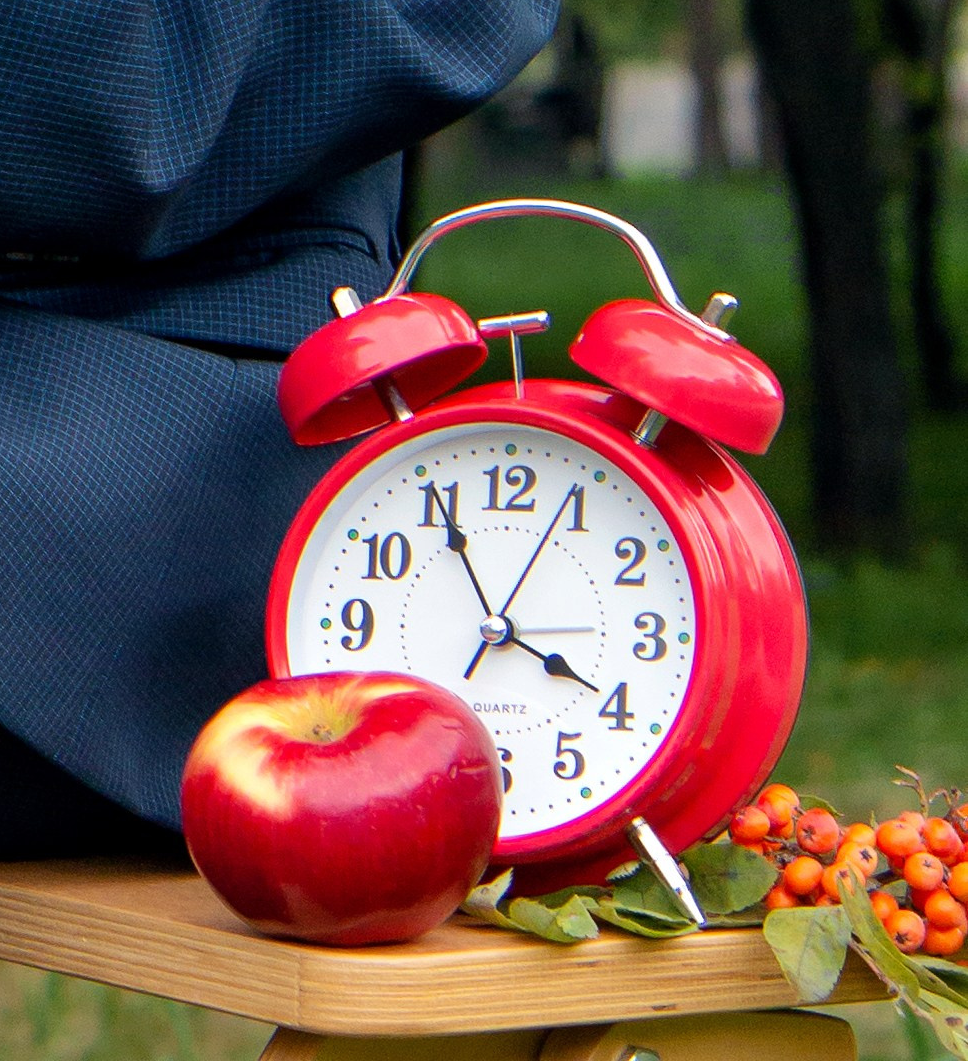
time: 3:55
